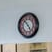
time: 4:52
